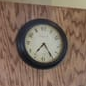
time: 7:24
